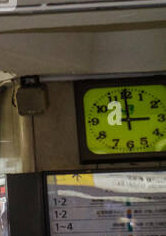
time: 2:59
